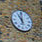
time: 11:00
